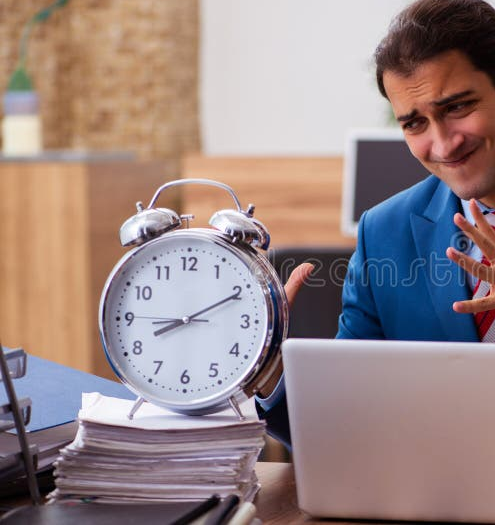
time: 8:10
